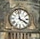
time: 3:58
